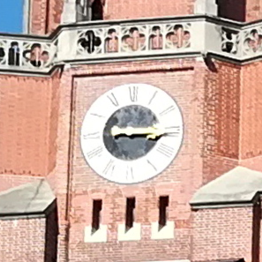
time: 3:15
